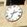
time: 2:33
